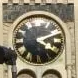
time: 4:10
